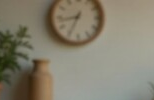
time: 8:34
